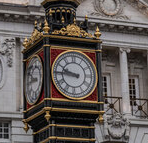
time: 9:45
